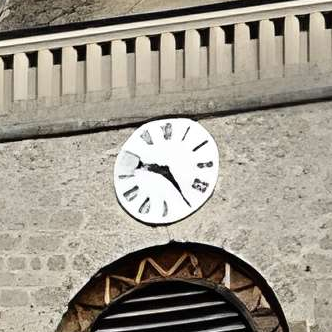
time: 9:24
